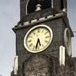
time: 5:32
